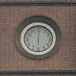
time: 6:01
